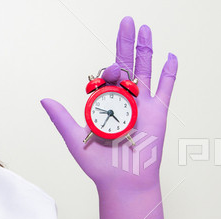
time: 4:34
